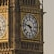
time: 4:47
